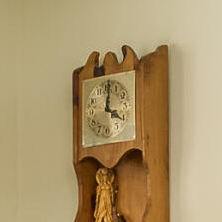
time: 4:01
